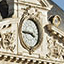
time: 3:44
